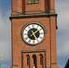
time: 1:26
